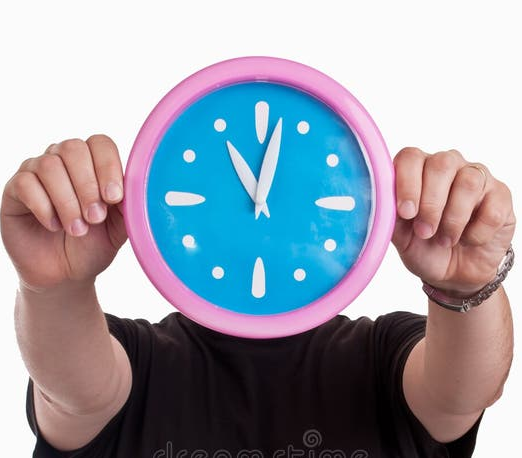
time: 11:02
